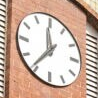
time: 11:36
